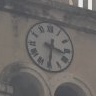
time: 3:30
